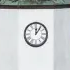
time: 12:05
